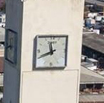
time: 11:41
